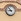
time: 8:54
